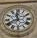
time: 11:40
